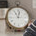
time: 11:02
